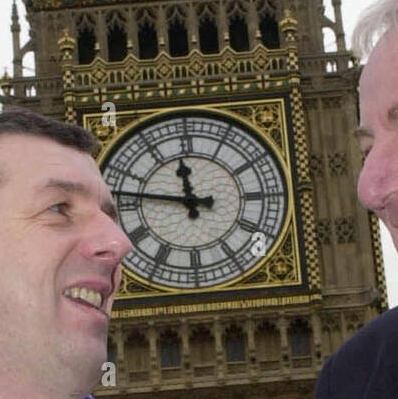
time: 11:46
